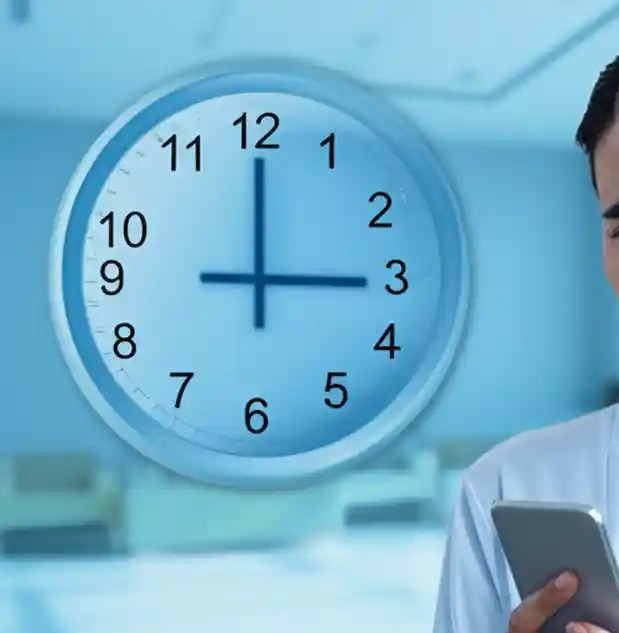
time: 3:00
